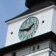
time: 1:46
